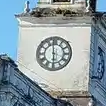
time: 5:59
